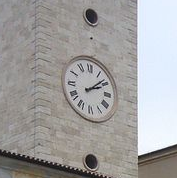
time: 2:08
